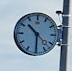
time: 10:30
